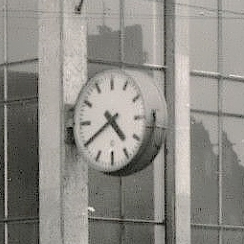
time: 4:39
